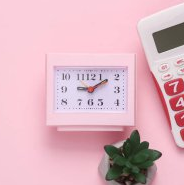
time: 9:09
